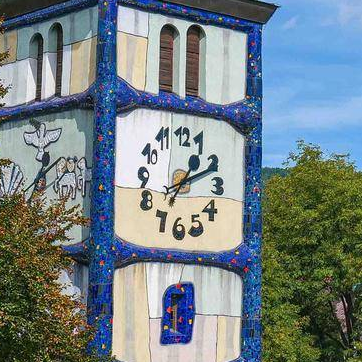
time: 1:10
